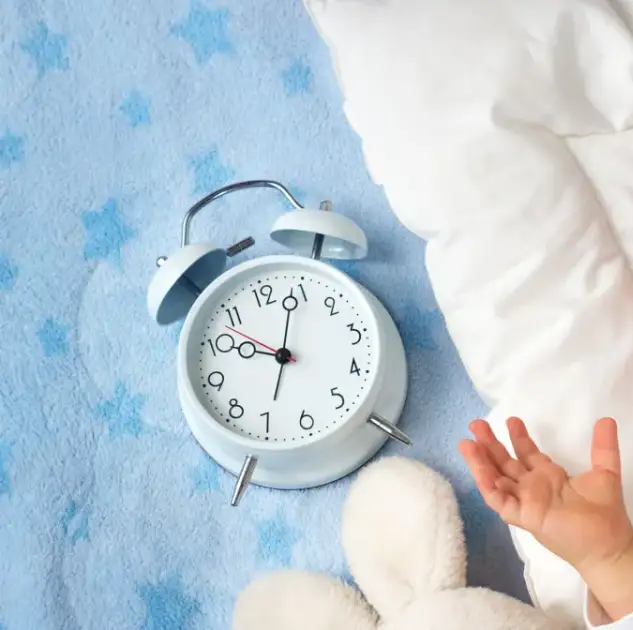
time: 10:04
